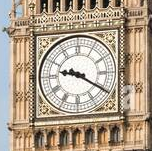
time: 9:20
